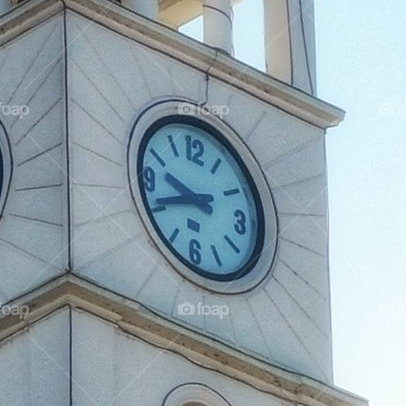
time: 9:41
